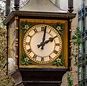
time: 2:01
